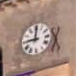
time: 9:01
